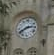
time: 2:40
